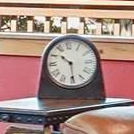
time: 10:29
